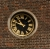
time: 10:47
